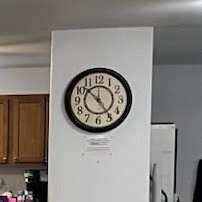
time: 10:24
